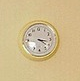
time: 3:21
